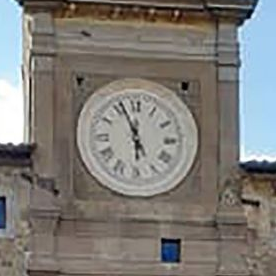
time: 5:56
